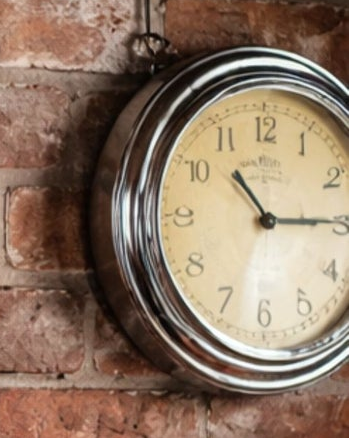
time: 10:14
